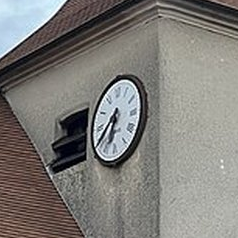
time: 6:38
